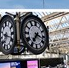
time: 7:17
